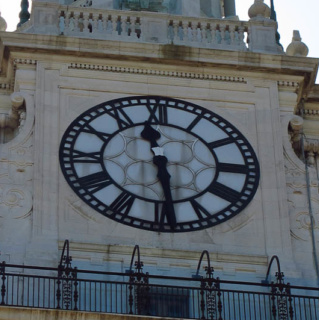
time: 11:28
